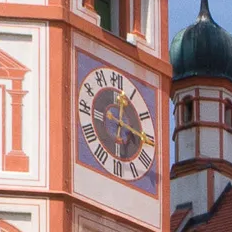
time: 12:16
